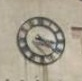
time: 4:16
